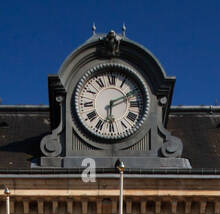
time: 6:10
